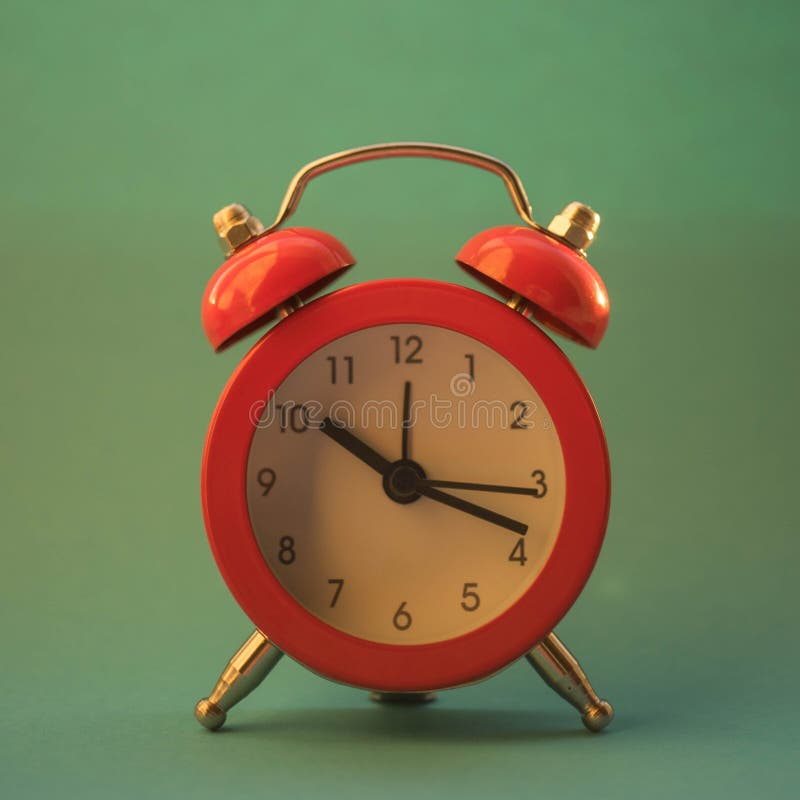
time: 10:18
